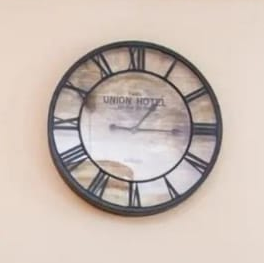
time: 1:15
